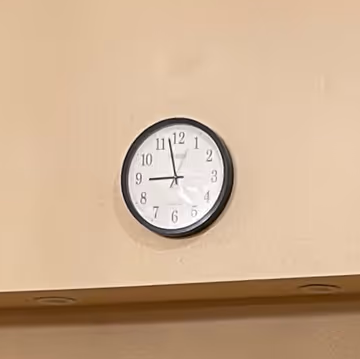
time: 8:57
